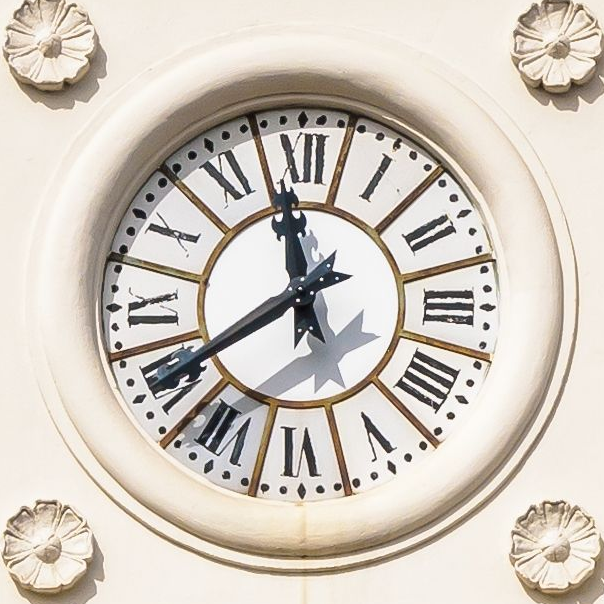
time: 11:39
